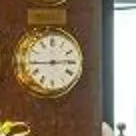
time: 2:44
